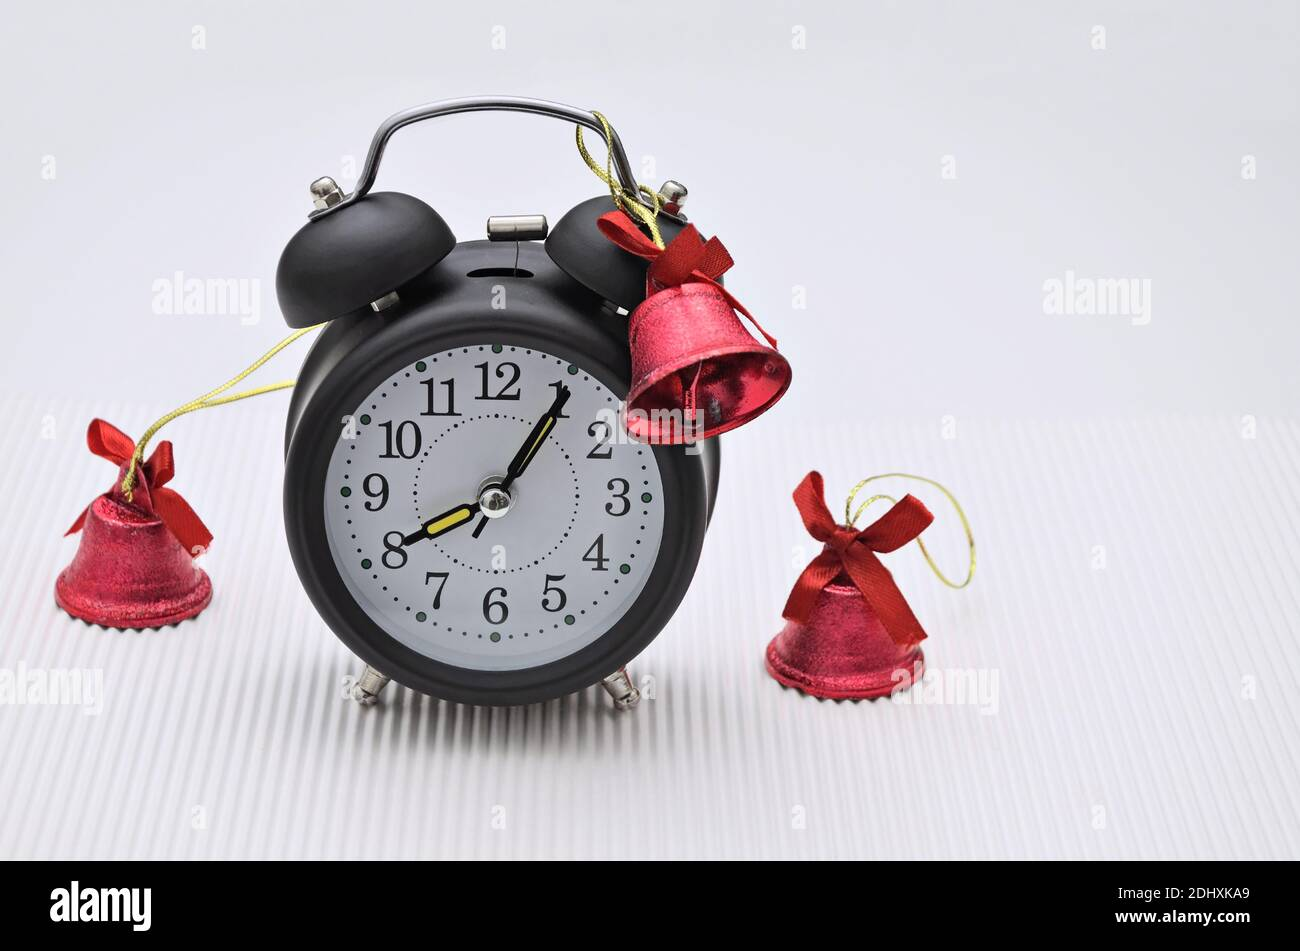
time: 8:05
